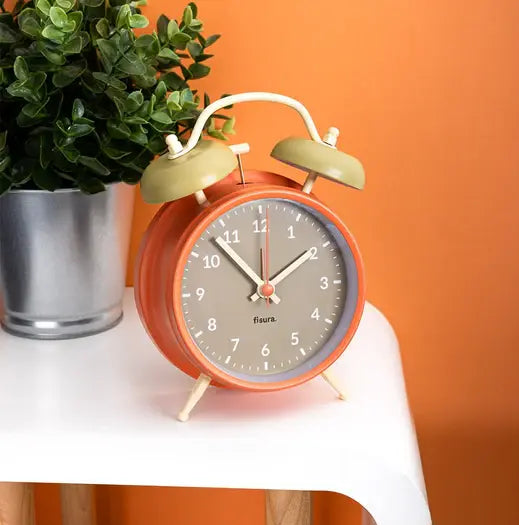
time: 1:52
